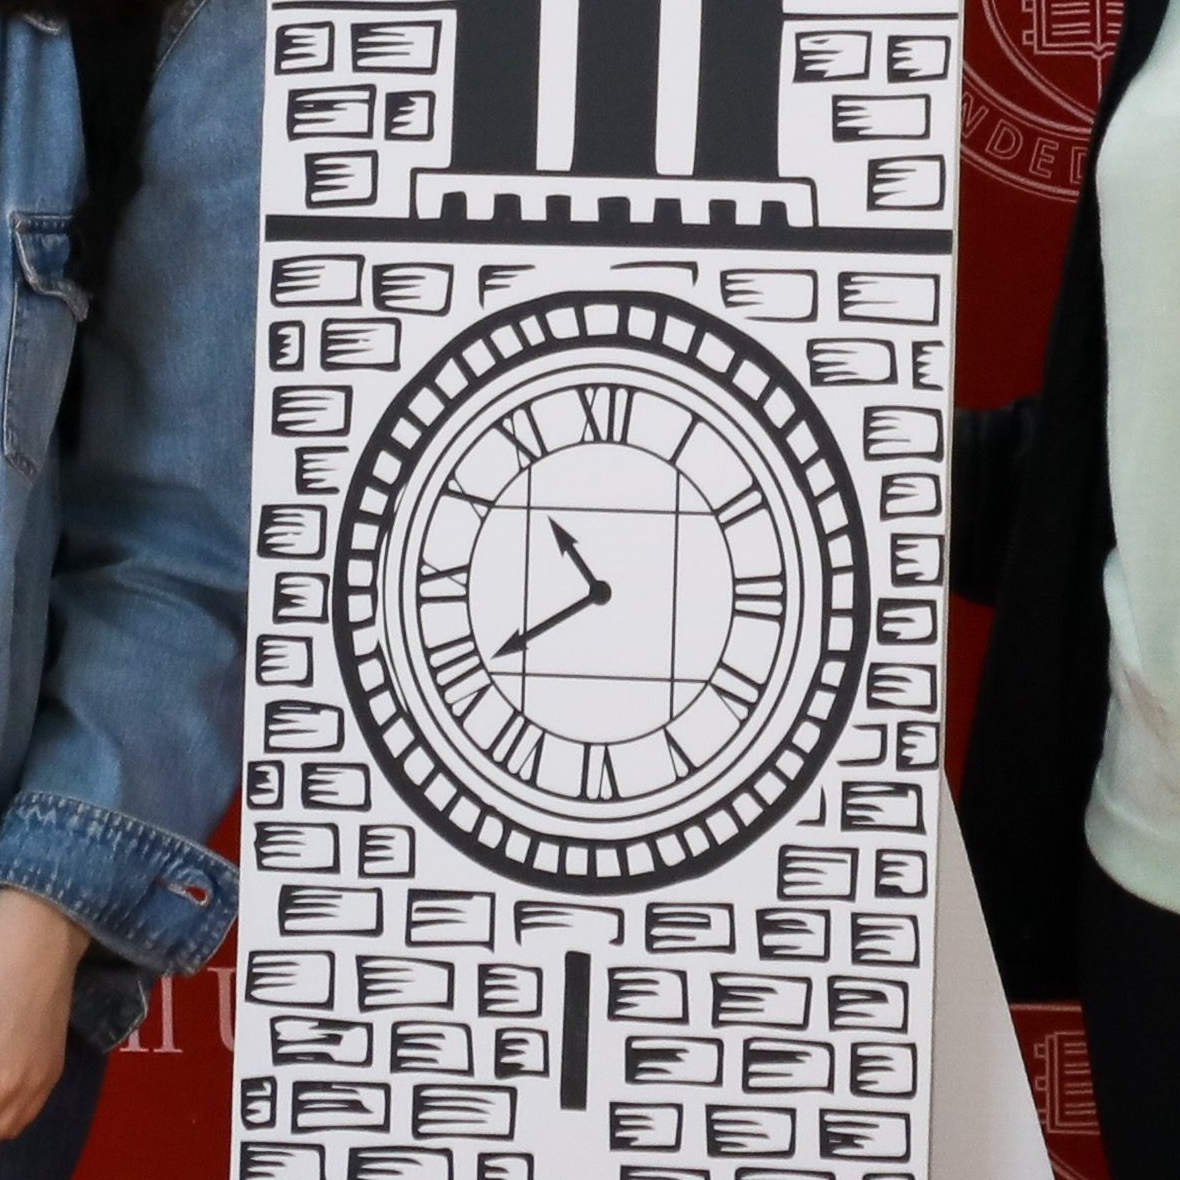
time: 10:40
